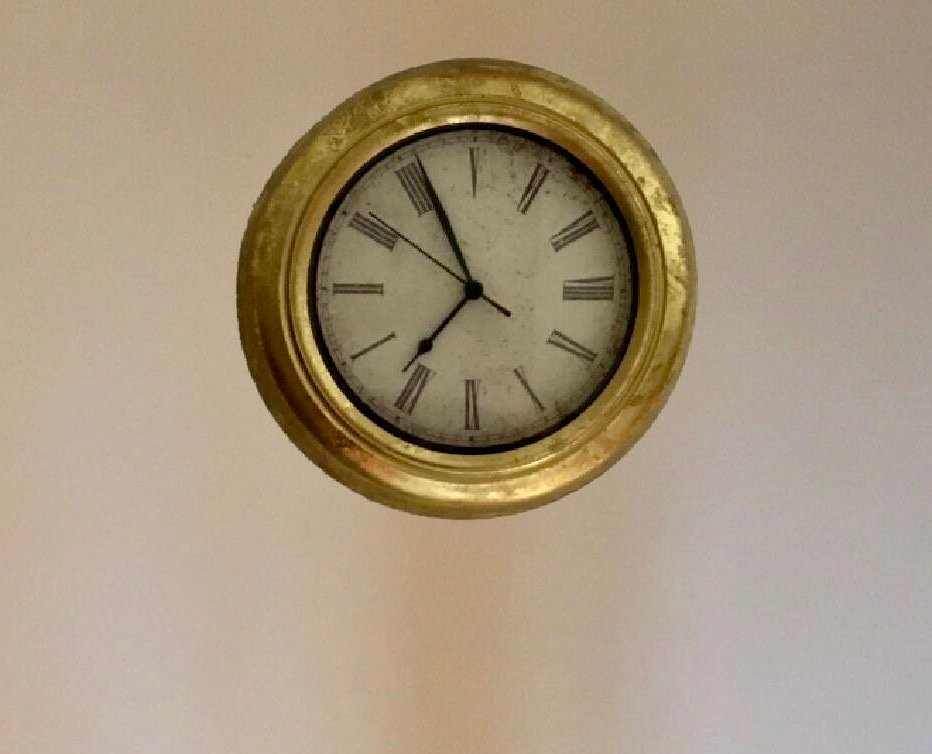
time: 6:55
